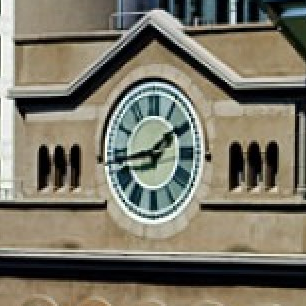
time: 1:43
